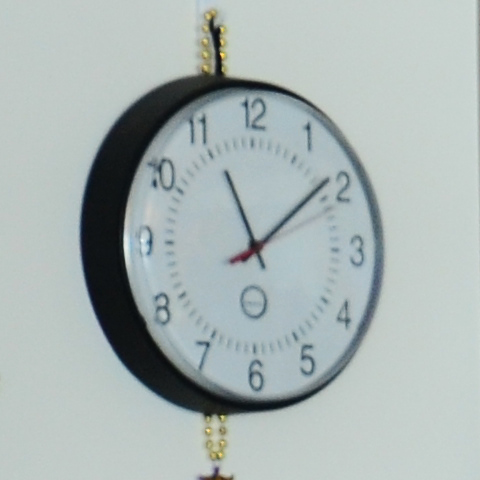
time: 11:08
